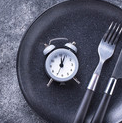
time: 12:03
